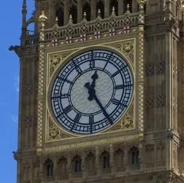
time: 12:24
